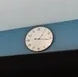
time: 1:16
